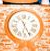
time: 6:26
